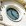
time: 11:21
